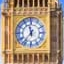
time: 11:36
